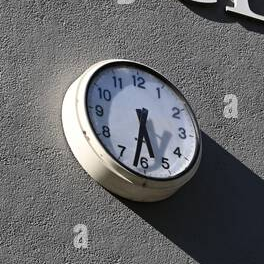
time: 5:32
